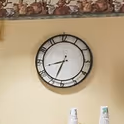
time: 8:33
